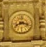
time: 8:17
